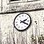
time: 2:19
